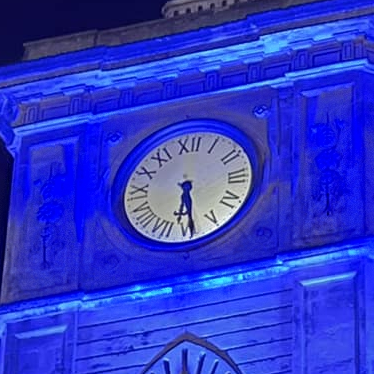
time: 6:29
